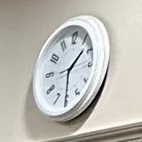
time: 1:30
